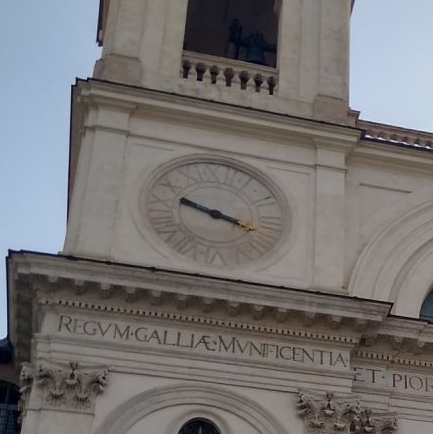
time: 3:48
